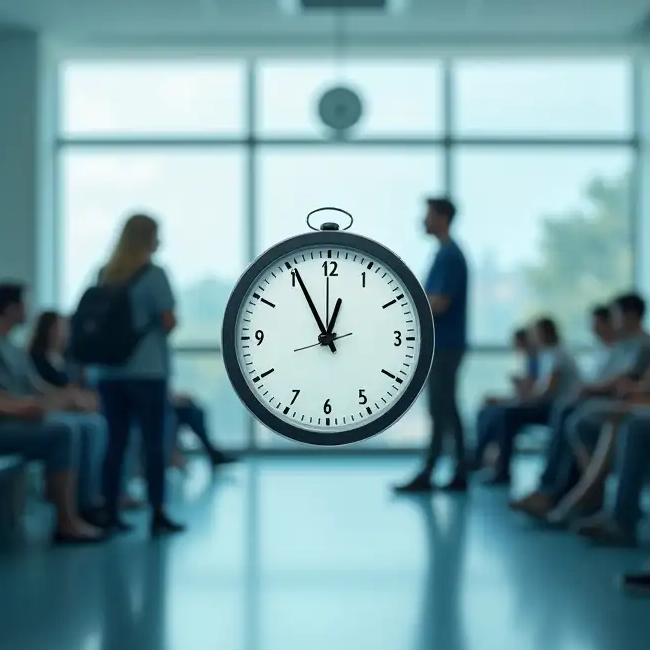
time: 12:55
